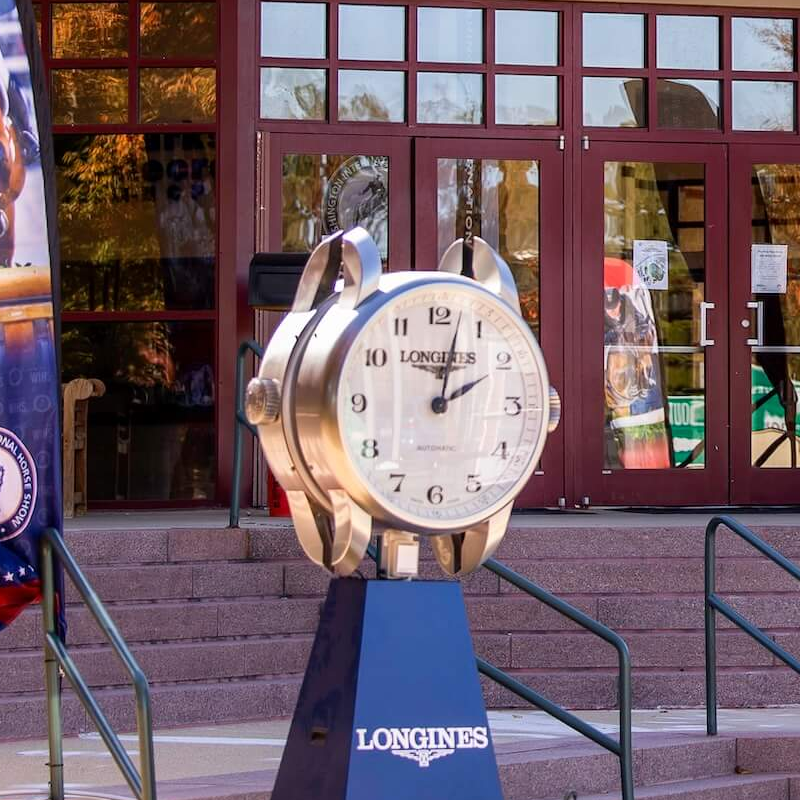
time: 2:02
